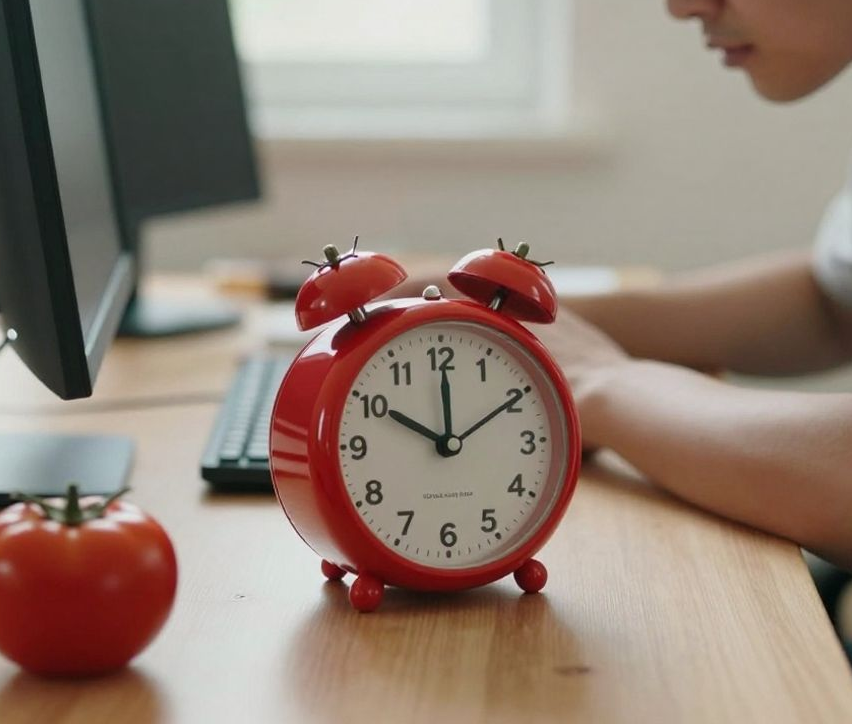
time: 10:00
